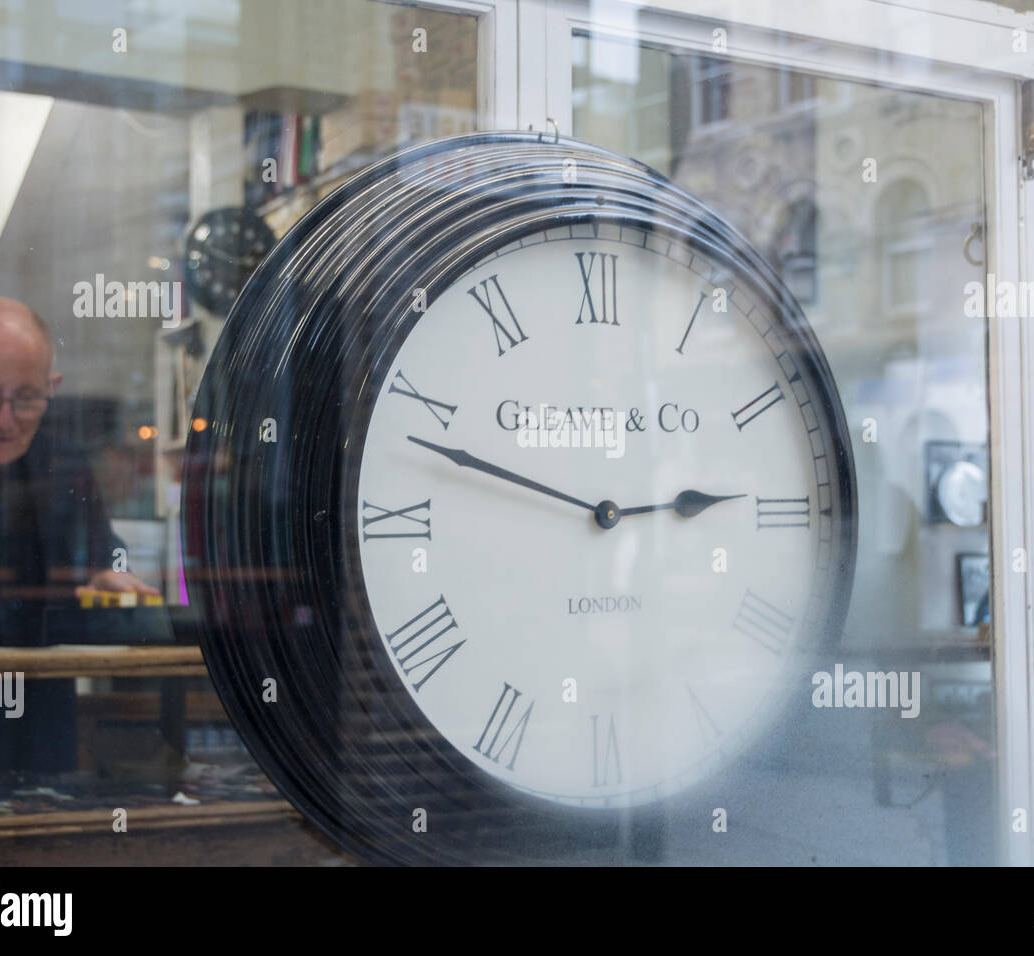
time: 2:47
